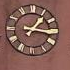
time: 1:16
